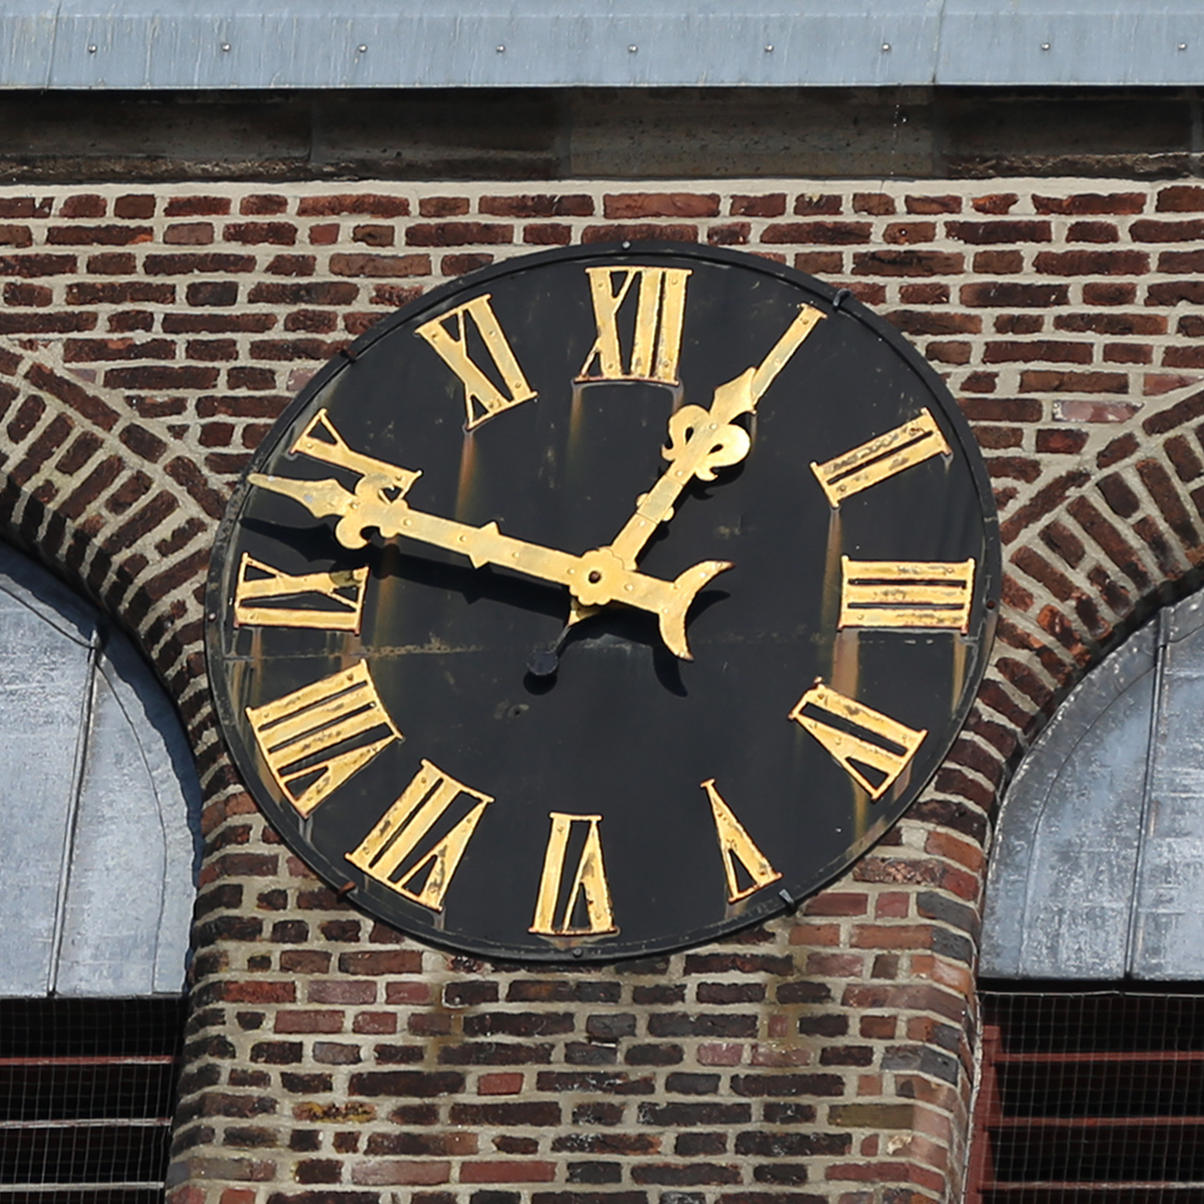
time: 12:48
